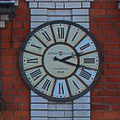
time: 2:18
